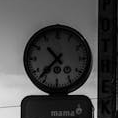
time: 10:37
